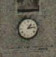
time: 1:13
